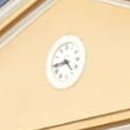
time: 4:44
